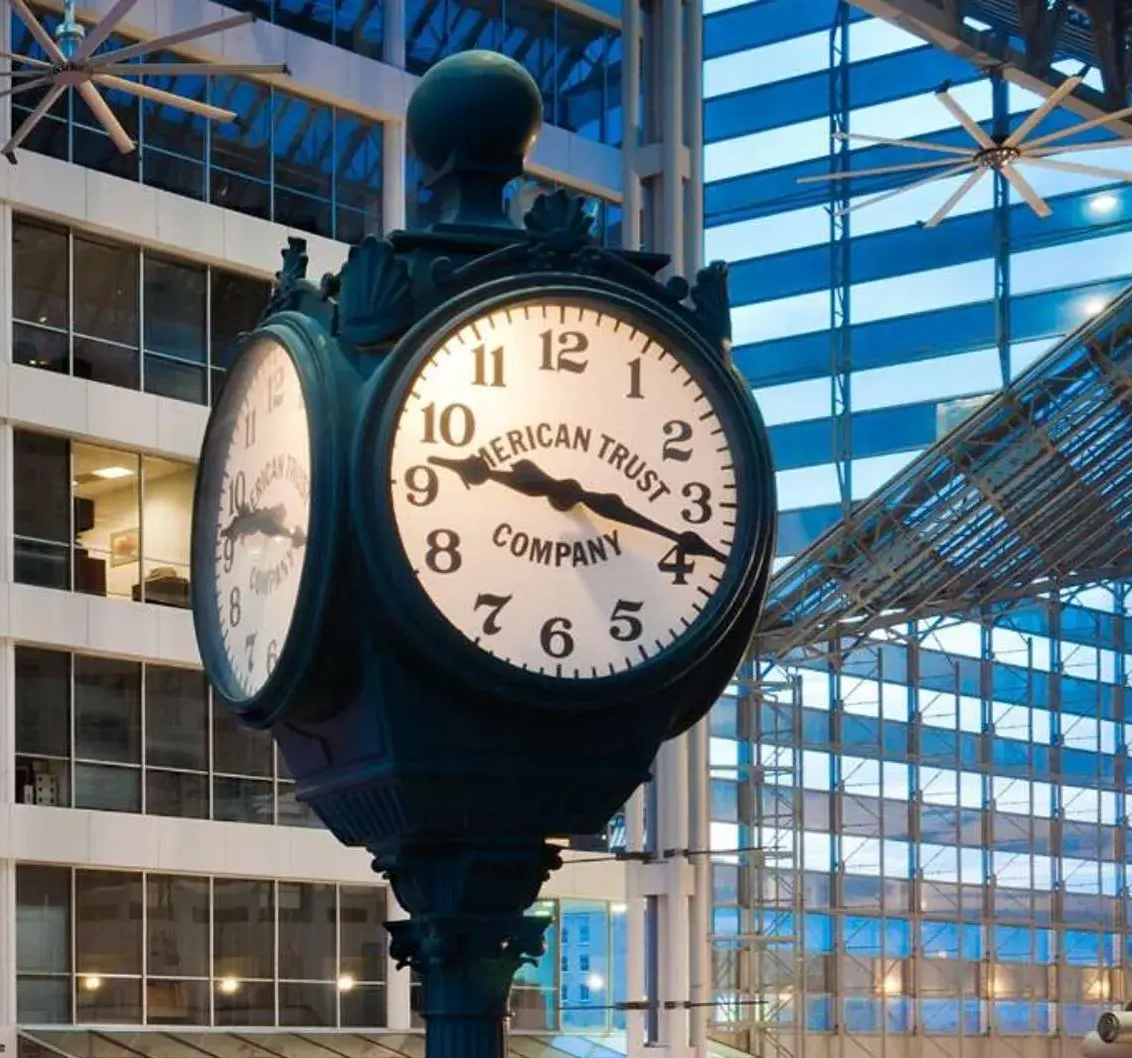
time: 9:18
